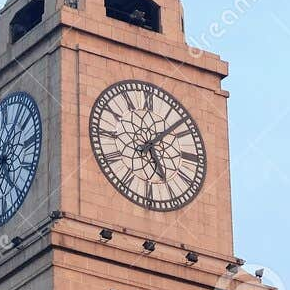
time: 5:07
